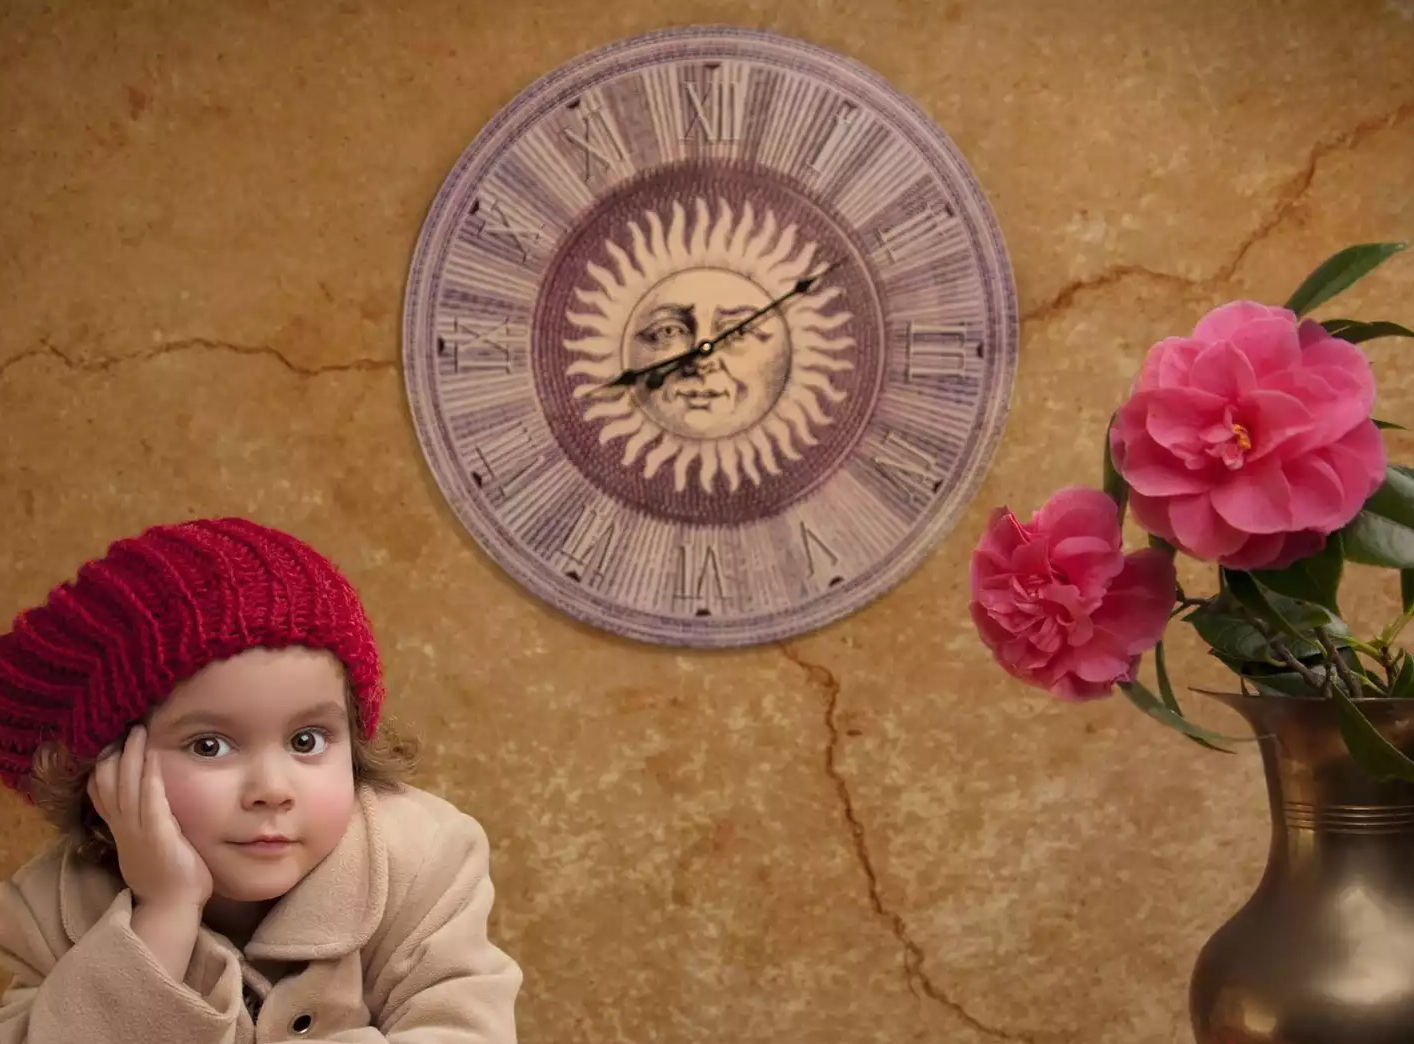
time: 8:09
